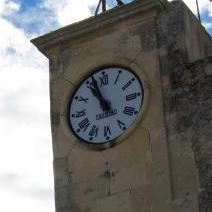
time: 10:56
